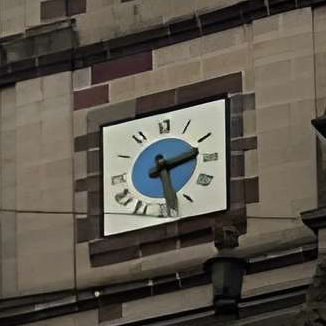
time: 2:28
